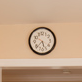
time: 5:37
